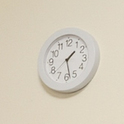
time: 1:28
